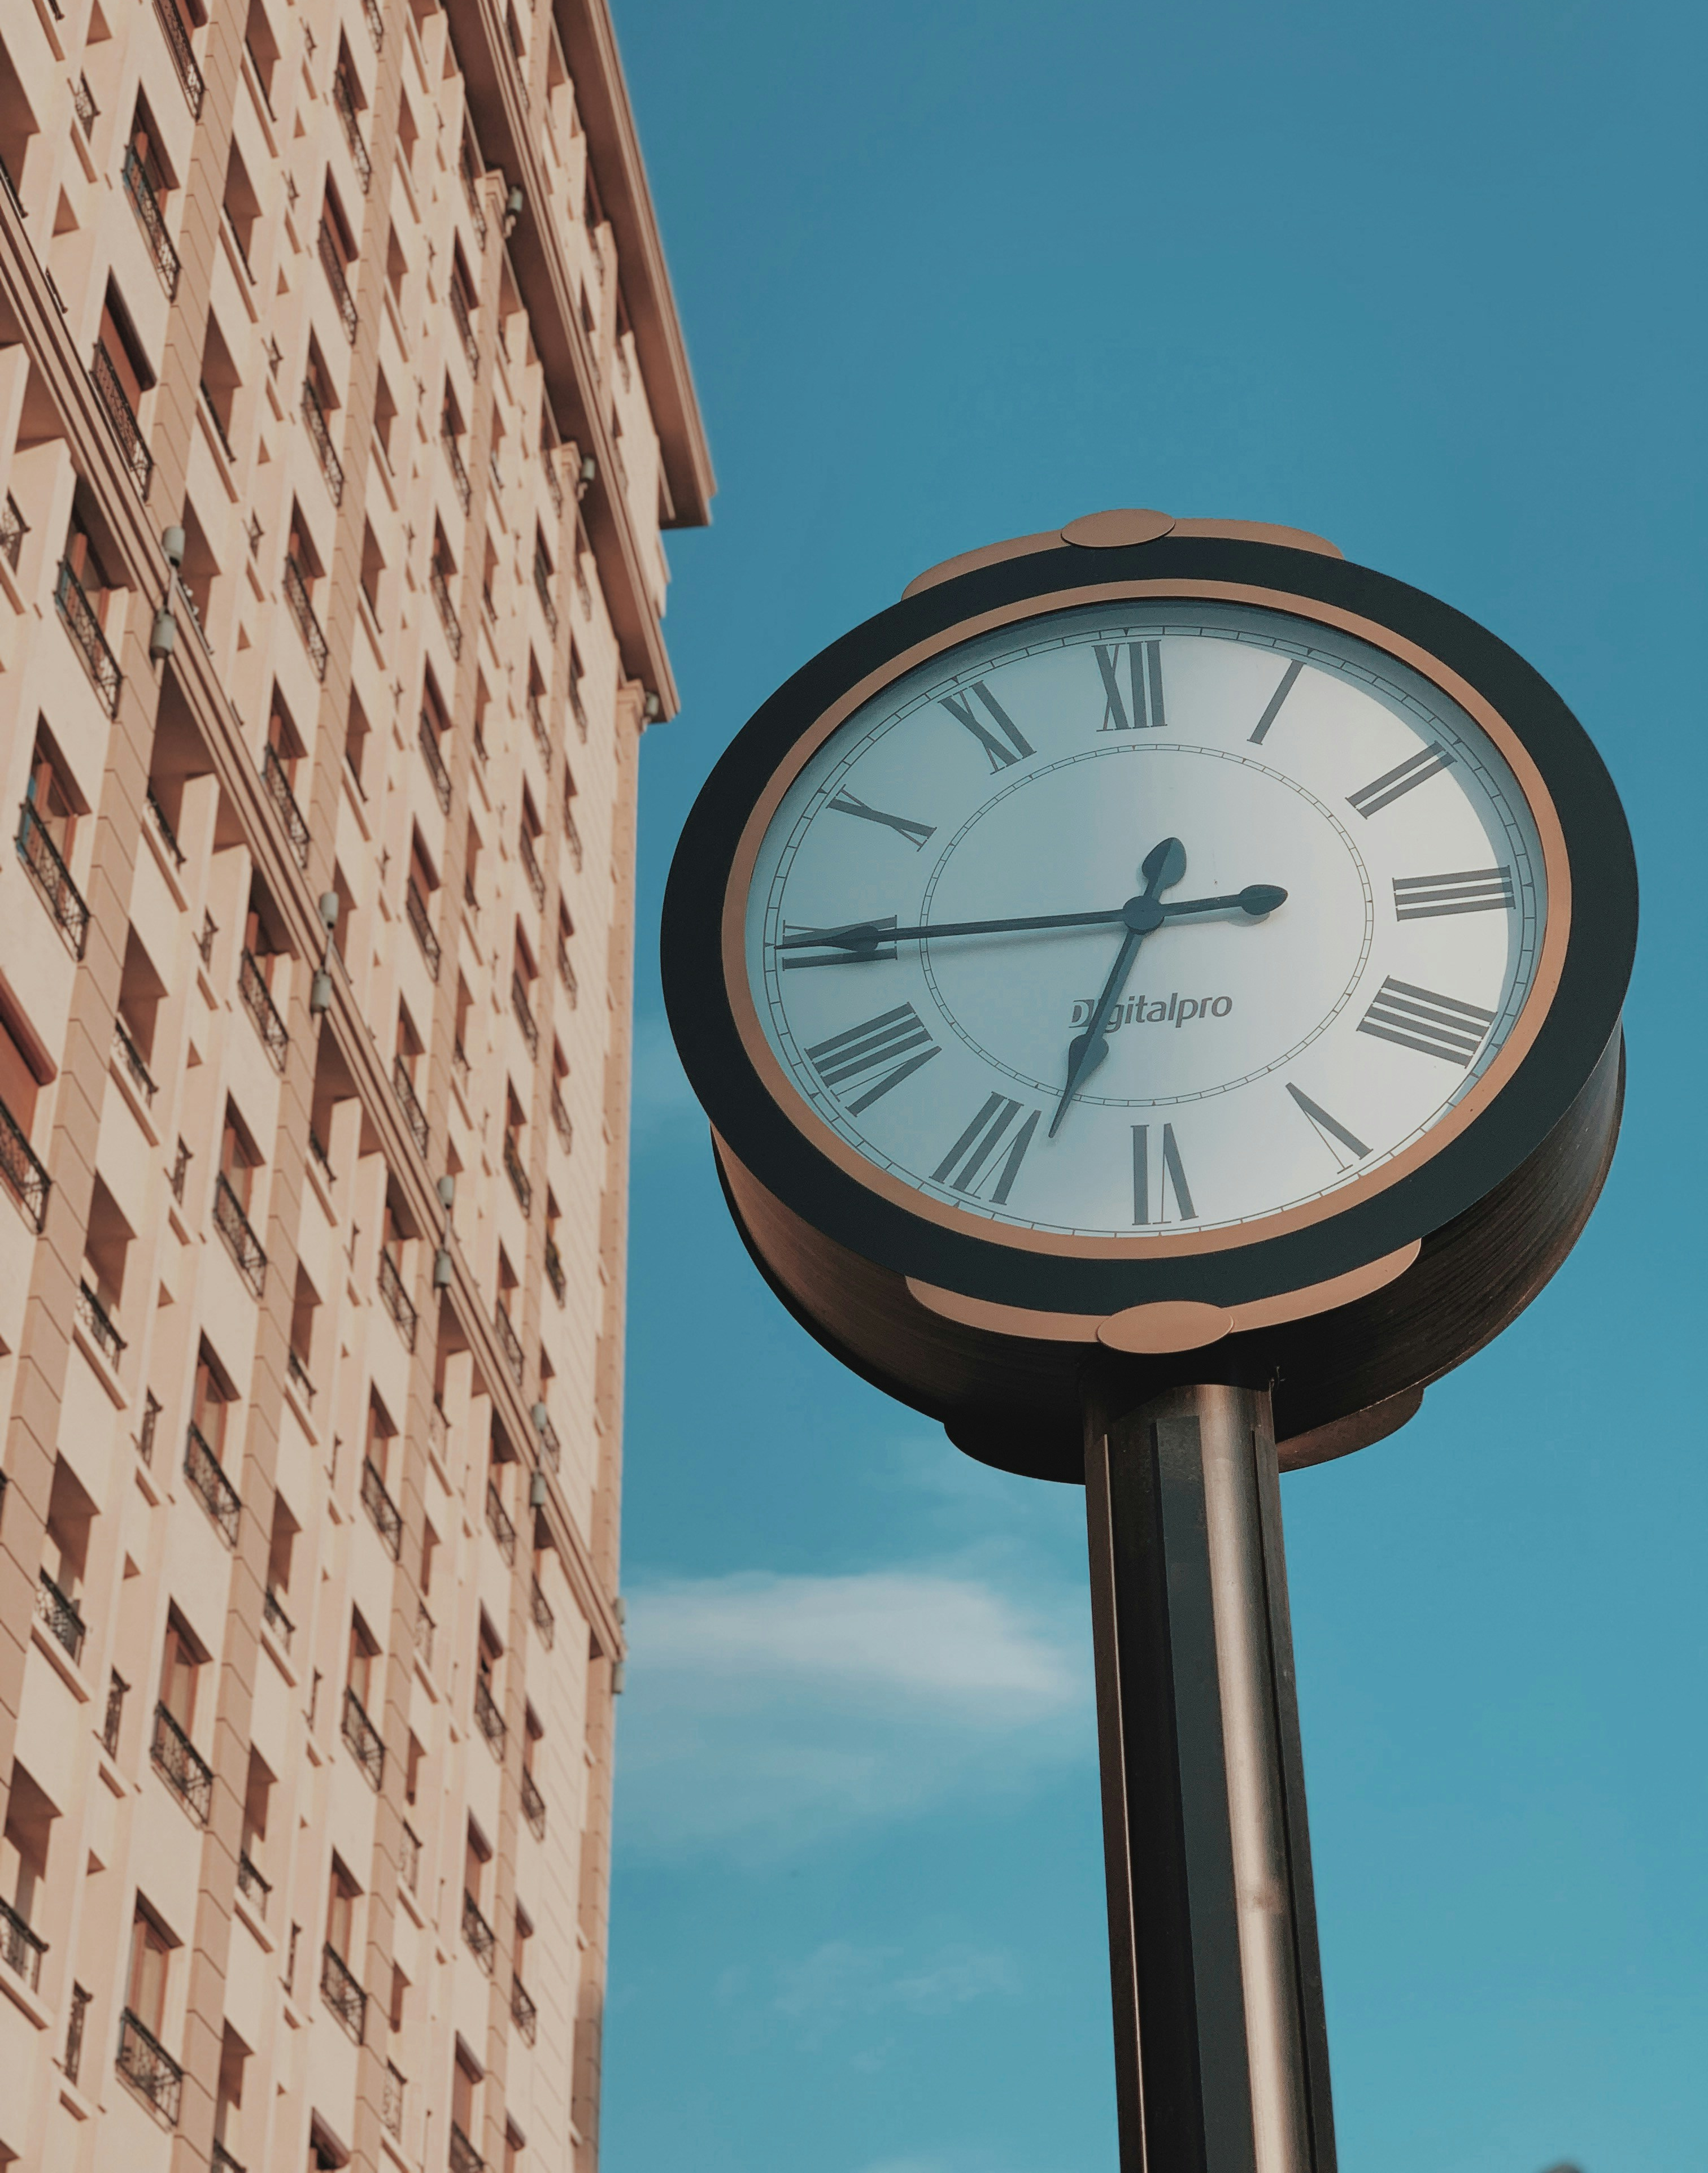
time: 6:44
